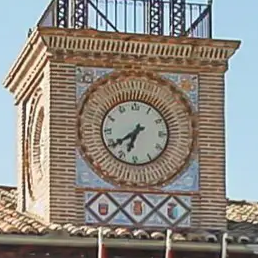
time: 6:39
